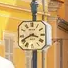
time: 3:40
